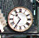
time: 10:35
